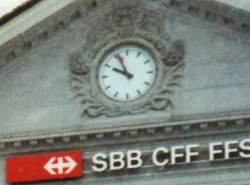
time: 9:56
